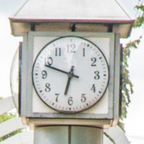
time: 6:48
